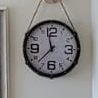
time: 11:37
